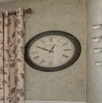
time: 12:49
